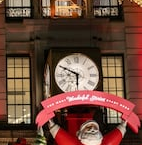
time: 5:49
